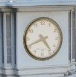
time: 4:41
